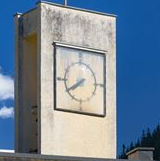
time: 7:39
